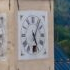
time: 5:06
